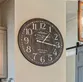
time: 1:16
